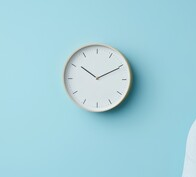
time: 10:10
